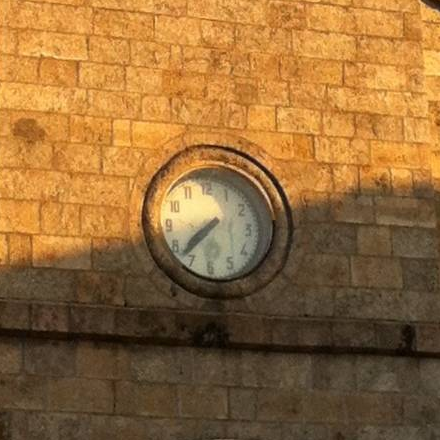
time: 7:37
